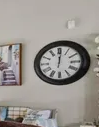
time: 12:01
